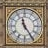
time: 11:24
